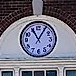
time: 11:05
